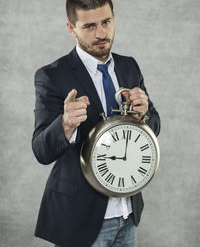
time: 9:00
